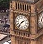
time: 1:36
